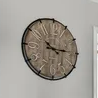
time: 10:14
